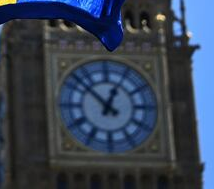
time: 12:52
